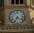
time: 4:34
